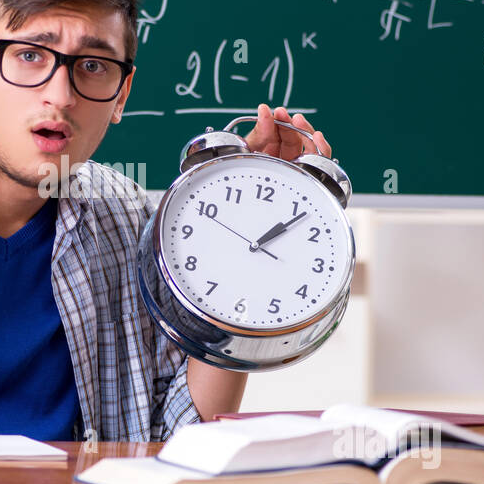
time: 1:06
